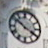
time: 3:51
